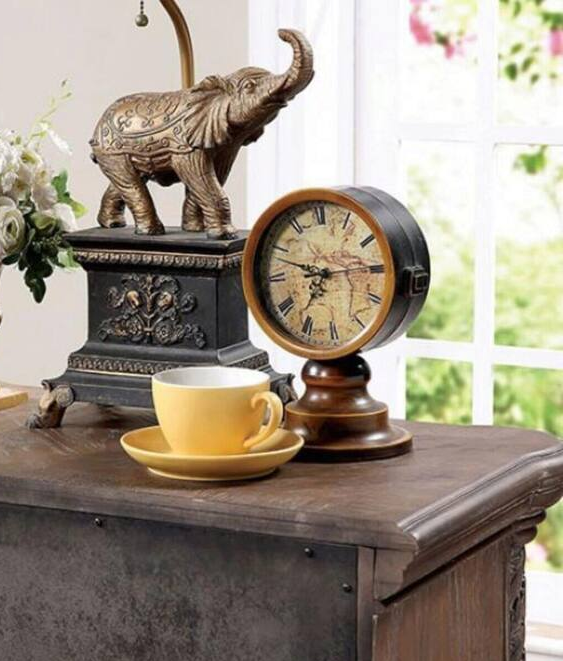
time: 6:47
